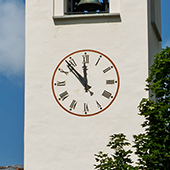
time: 11:53
